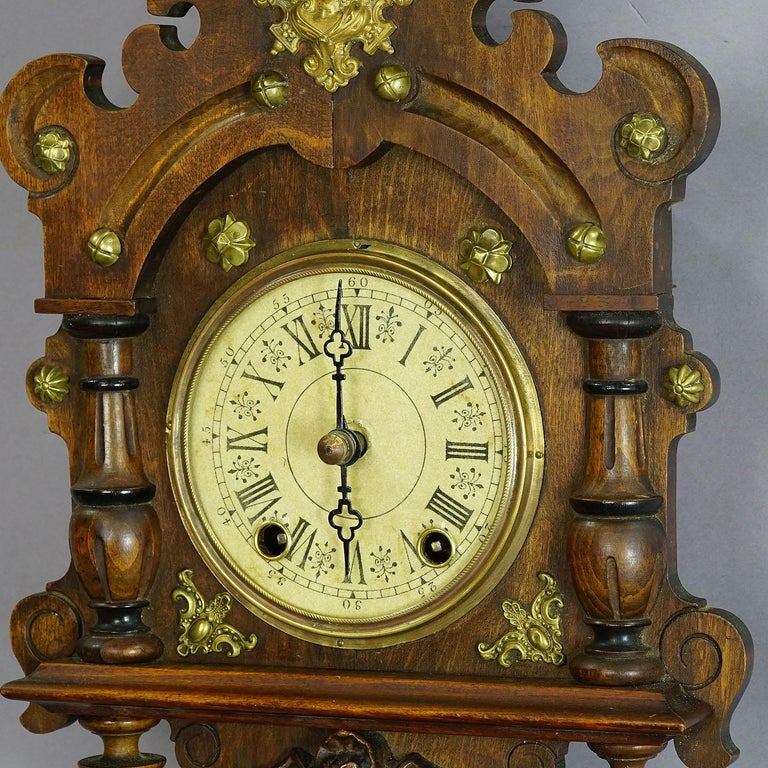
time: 5:59
